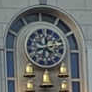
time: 11:32
